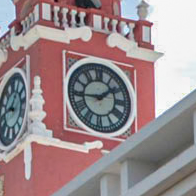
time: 1:44
